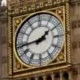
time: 1:43
